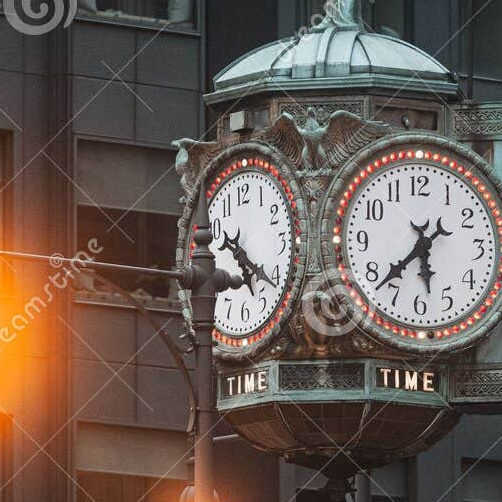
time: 5:21
